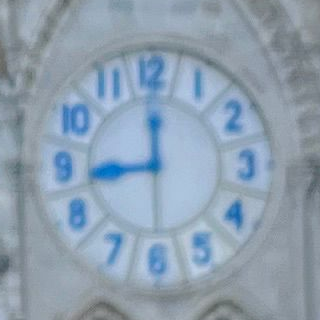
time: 9:00
